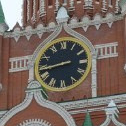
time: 8:43
